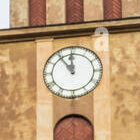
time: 11:54
